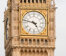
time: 4:47
